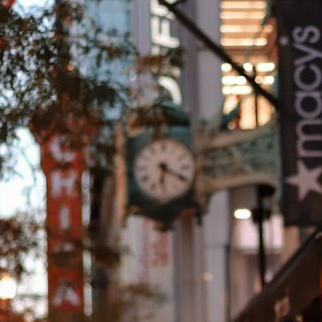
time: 6:18
